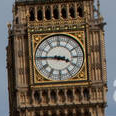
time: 3:45
